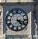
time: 4:17
